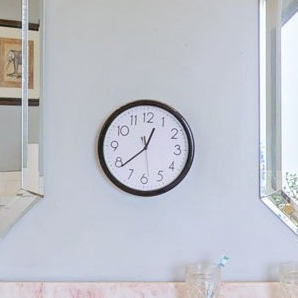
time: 12:38
